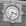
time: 3:34
